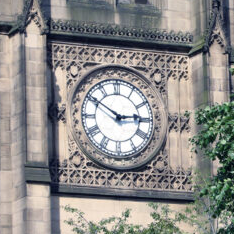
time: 2:50
